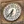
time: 6:37
